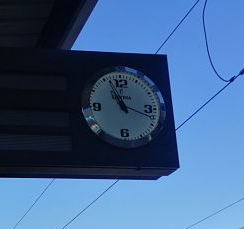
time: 11:18
